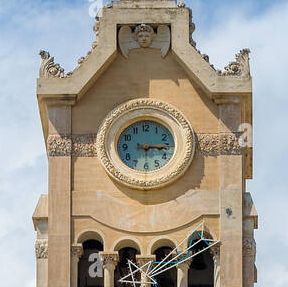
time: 3:14
